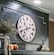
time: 10:41
